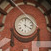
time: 4:00
